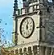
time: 12:26
